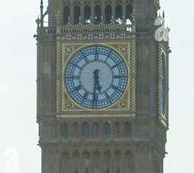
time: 5:31
